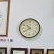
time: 10:39
